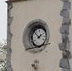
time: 1:51
